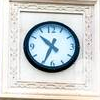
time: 10:34
